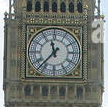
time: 11:36
